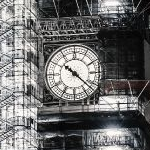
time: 10:22
